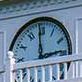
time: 2:59
